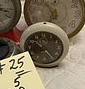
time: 10:24
